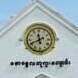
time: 11:41
